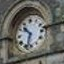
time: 10:32
